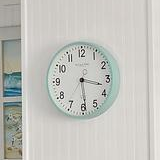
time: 3:29
